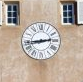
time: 2:43
